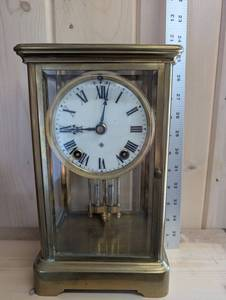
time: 9:01
